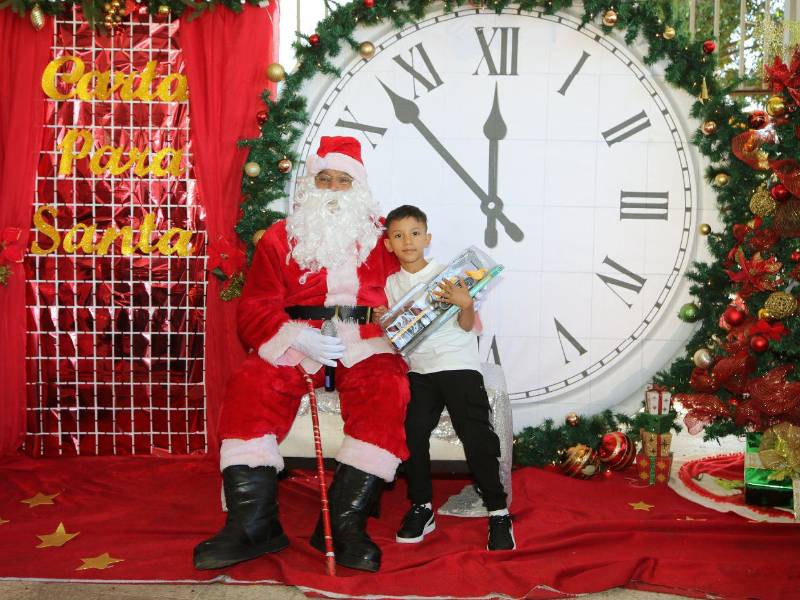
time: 11:52
